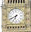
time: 6:40
